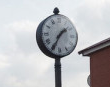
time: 1:34
